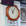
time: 11:05
